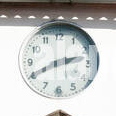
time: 2:40
